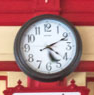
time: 5:10
